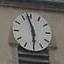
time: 5:57
